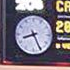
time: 8:25
